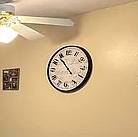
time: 10:53
